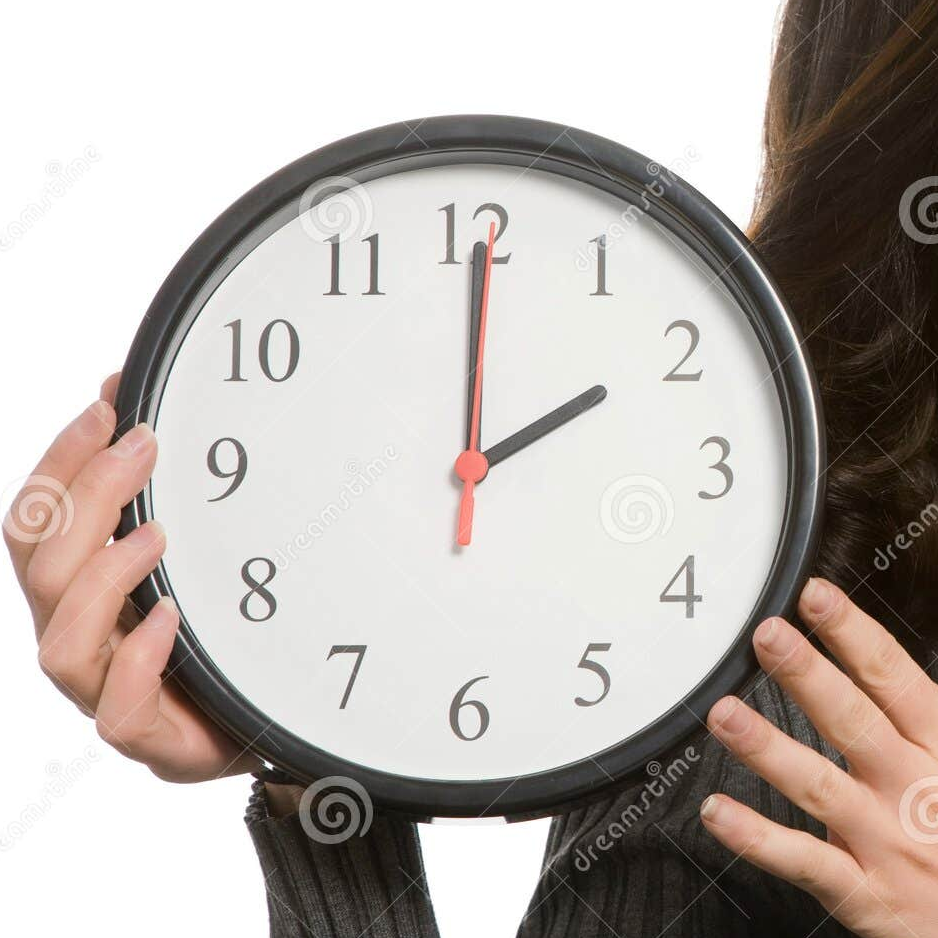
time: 2:00
